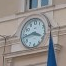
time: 3:43
